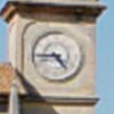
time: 4:44
